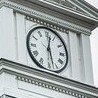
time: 12:27
